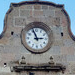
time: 2:56
